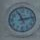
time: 11:12
